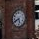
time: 5:40
